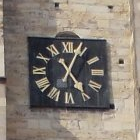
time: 5:04
